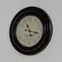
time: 11:17
